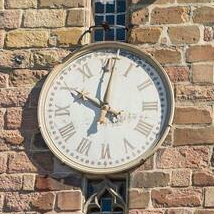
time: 10:00
